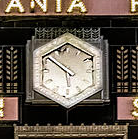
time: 5:51
